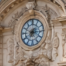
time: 7:15
